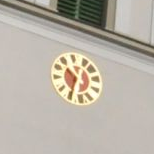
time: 10:34
